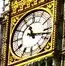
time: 11:17
